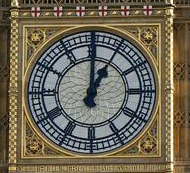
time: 1:00
